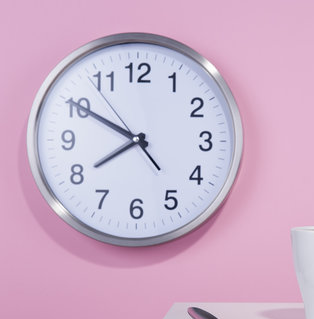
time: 7:49
